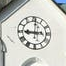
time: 9:01
